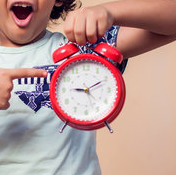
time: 9:10
